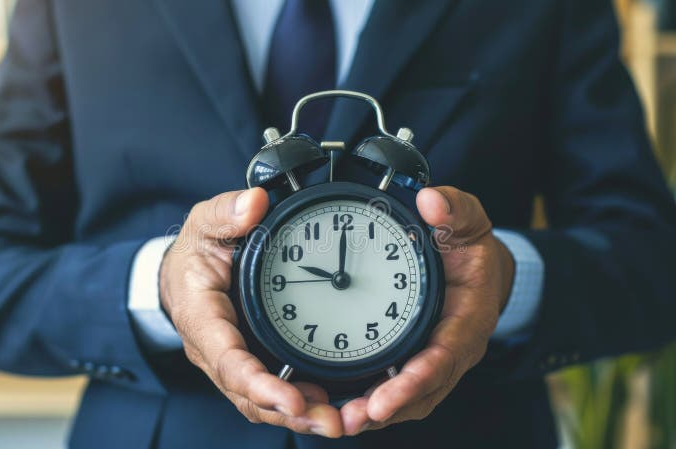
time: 10:00
